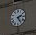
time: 2:24
